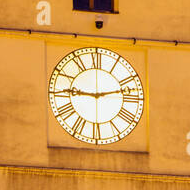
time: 9:12
